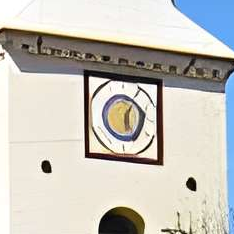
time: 6:05
